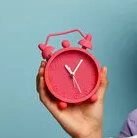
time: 11:07
